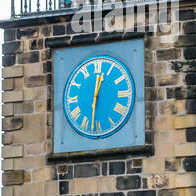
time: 12:31
